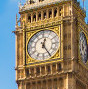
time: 12:24
